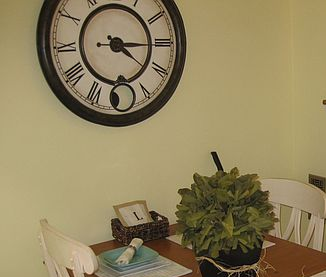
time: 4:15
